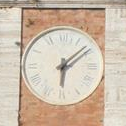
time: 6:08
